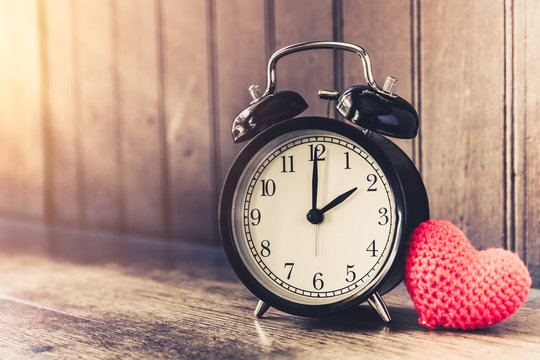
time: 2:00
